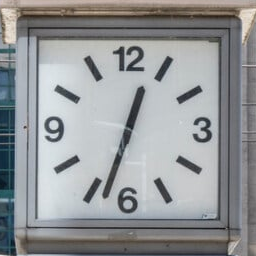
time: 12:33
